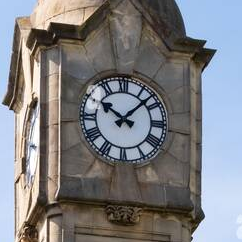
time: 10:07
